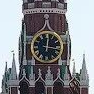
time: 12:16
